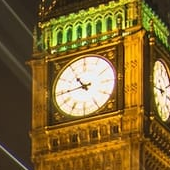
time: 10:43
